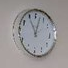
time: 11:02
